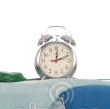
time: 12:11
